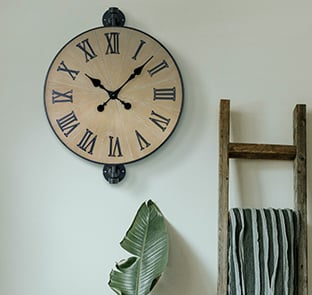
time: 10:07
